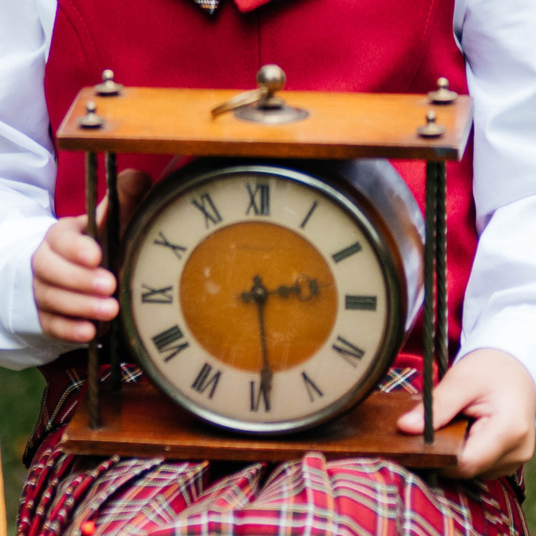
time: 2:29
